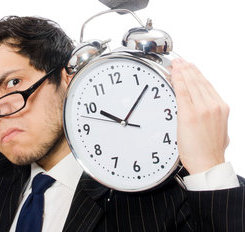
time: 10:07
